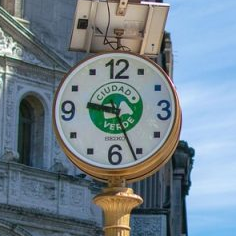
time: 9:26
